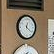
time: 12:21
